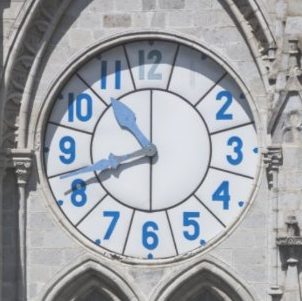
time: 10:41
